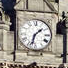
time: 1:32
